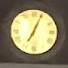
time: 7:04
